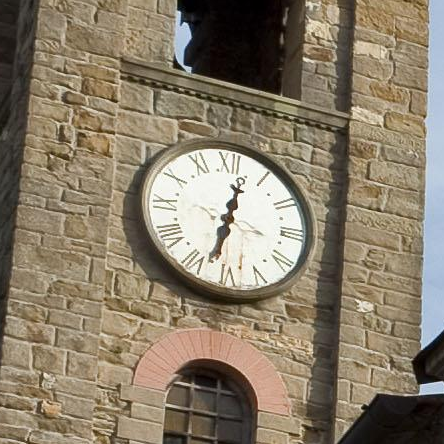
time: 12:32
